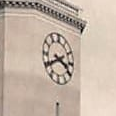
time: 3:40
